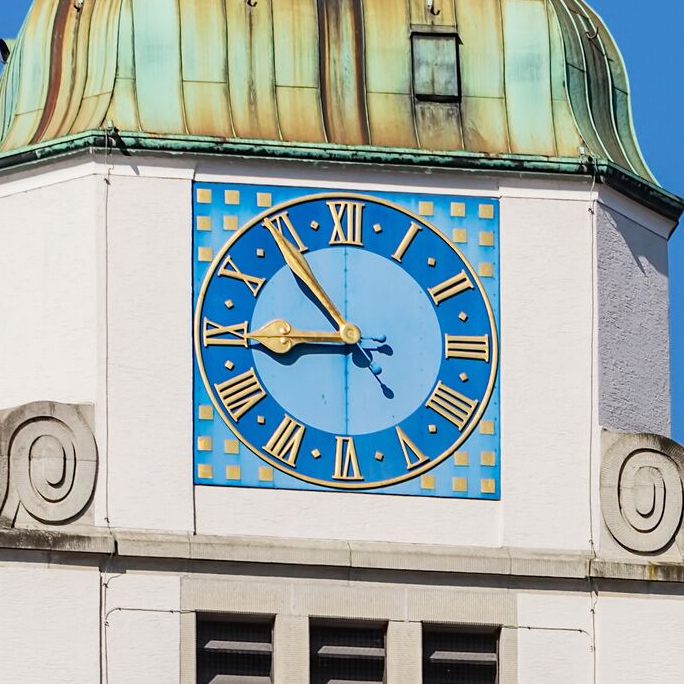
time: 8:53
